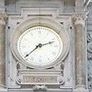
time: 2:38
